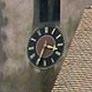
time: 3:34
